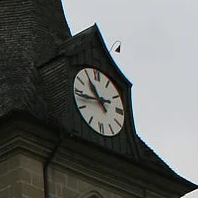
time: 10:43
